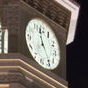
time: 11:25
